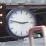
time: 2:46
